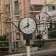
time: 11:40
